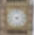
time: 4:12
